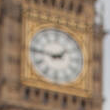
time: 1:46
